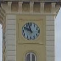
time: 9:57
